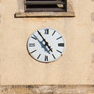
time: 4:54
